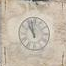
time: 10:58
